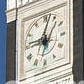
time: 9:02
